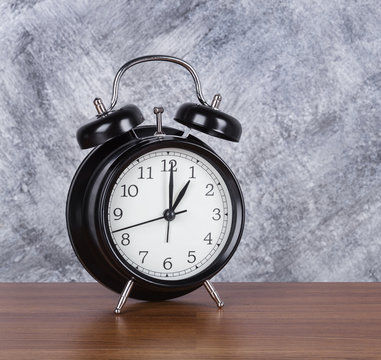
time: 1:00
